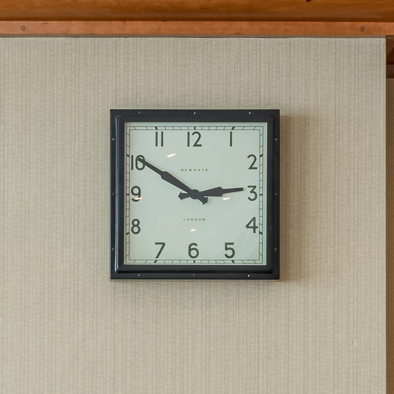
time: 2:50
